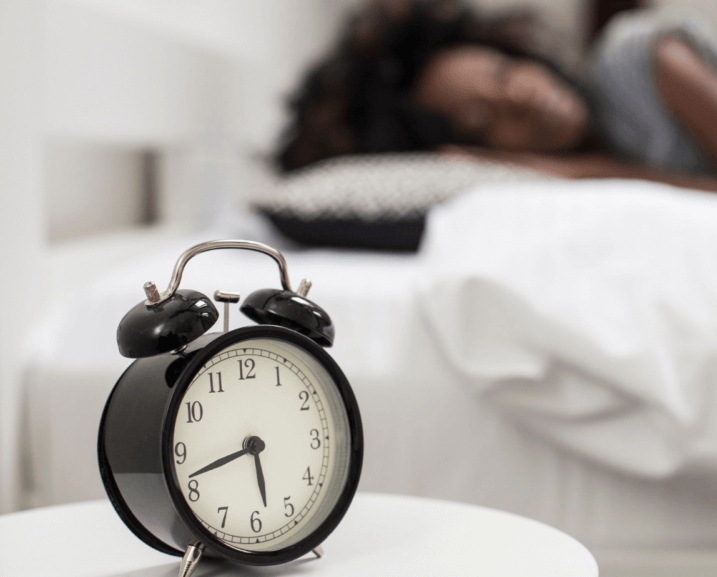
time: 5:42
